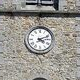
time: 4:11
